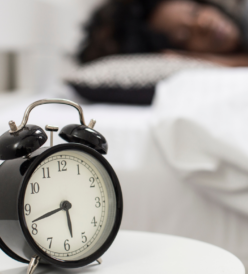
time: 5:42
